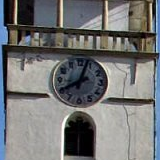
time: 8:03
